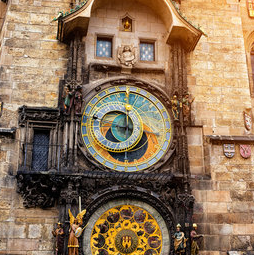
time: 11:46
